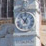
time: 12:53
